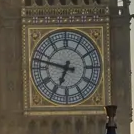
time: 6:47
